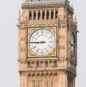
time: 8:45
